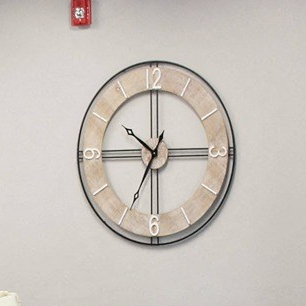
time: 10:34
